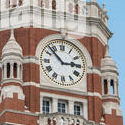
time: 2:52
